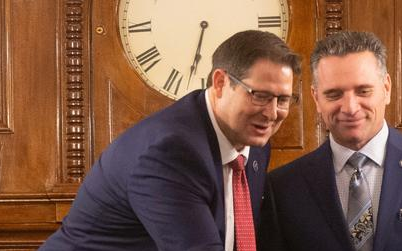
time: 6:32
